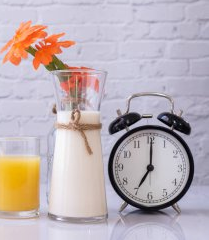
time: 7:00
